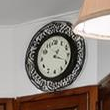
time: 1:18
